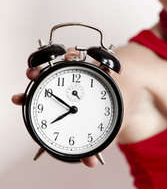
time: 7:50
